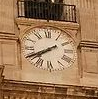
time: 7:40
